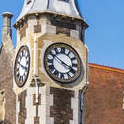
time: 3:50
